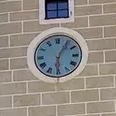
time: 6:05
